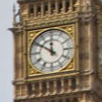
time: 11:50
